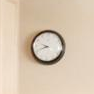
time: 9:41
